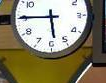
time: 5:45
